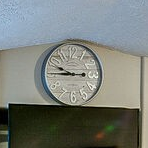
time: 9:45
